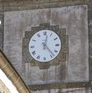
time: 12:23
